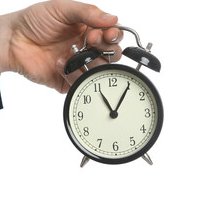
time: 11:05
